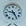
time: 9:25
